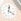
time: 12:21
